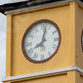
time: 8:02
